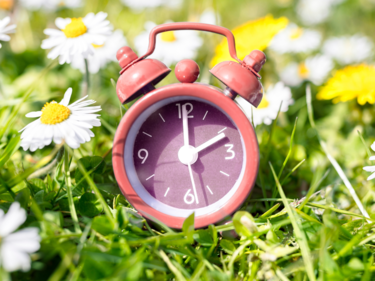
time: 2:00
